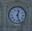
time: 12:26
